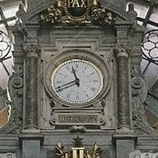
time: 11:41
